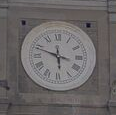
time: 5:48
